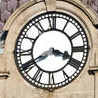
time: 3:40
